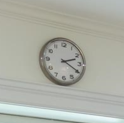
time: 2:19
